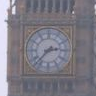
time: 2:37
